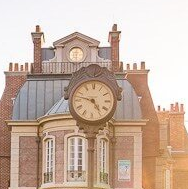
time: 4:47
